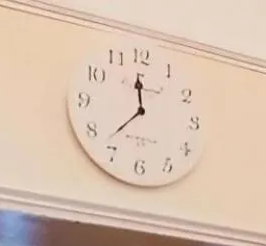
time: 11:37
